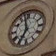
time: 6:57
